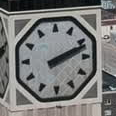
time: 2:11
